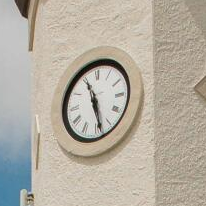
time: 11:28
